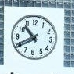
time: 10:40
